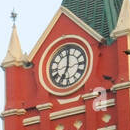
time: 7:00
